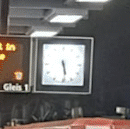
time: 5:28
